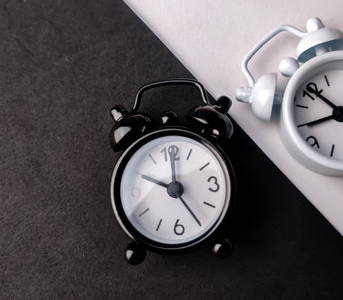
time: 10:00
